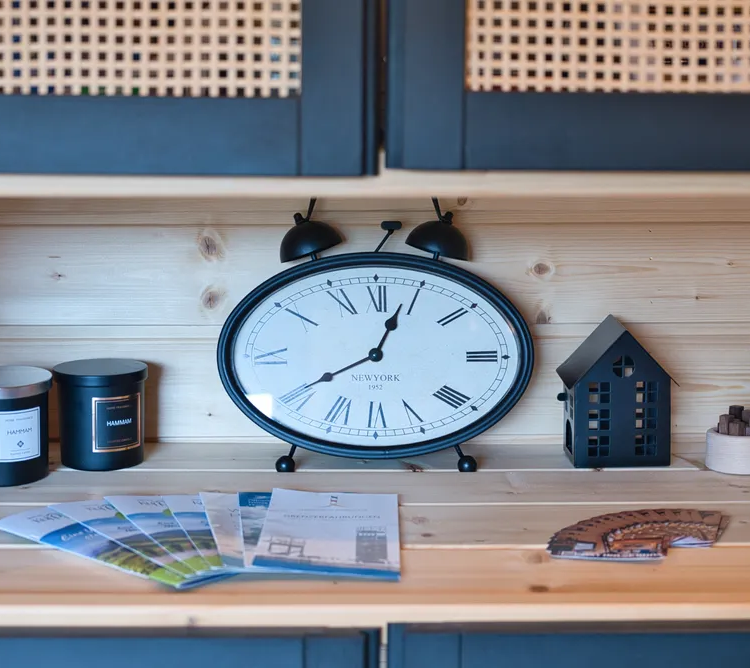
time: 12:39
